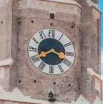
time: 3:40
